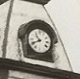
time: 10:40
